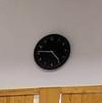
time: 4:46
